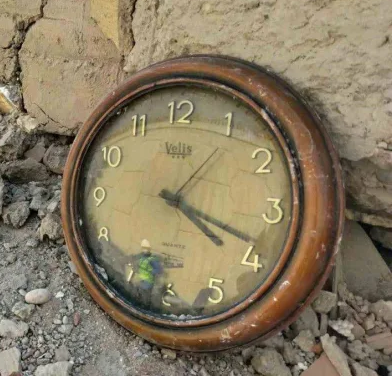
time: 4:18
